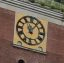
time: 11:06
